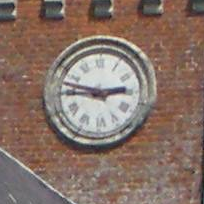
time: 2:46
